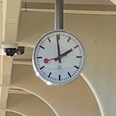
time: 1:59
